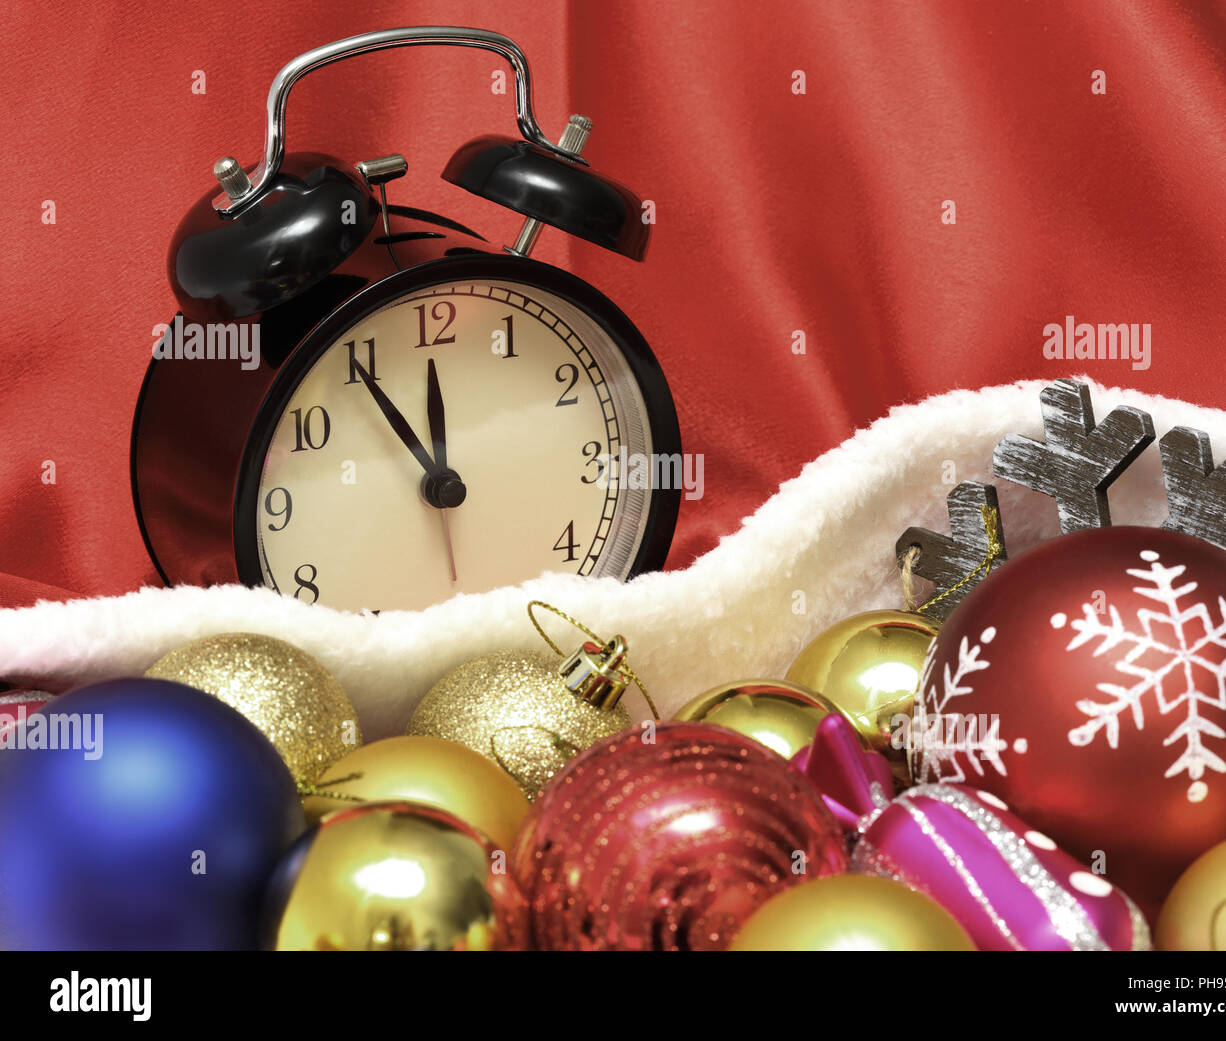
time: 11:54
